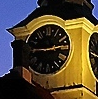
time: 2:45
